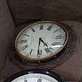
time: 4:30
